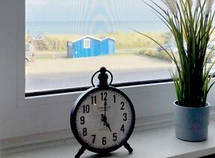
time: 5:00
